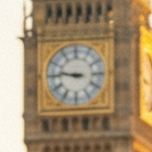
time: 8:46
